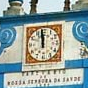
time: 11:58
